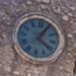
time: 4:04
